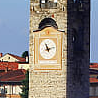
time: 11:12
